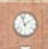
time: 1:57
